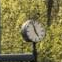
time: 4:57
